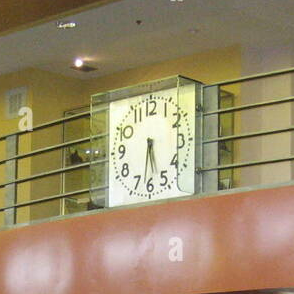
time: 5:31
